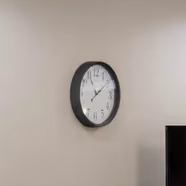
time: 8:09
